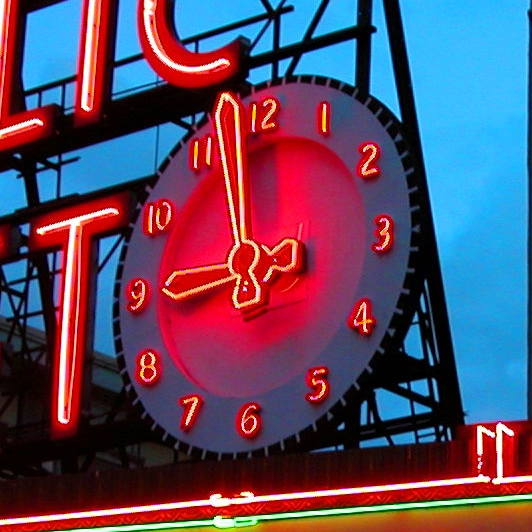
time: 8:57
